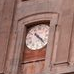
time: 4:22
